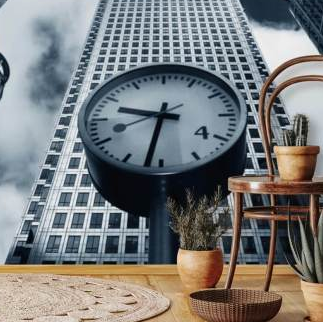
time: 9:32
